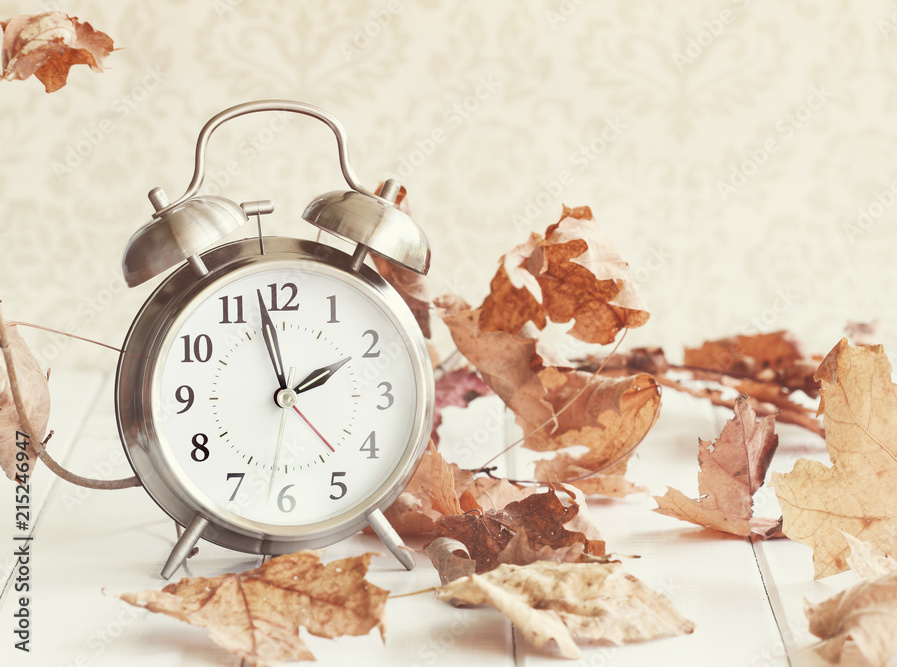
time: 1:58
